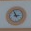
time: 2:56
